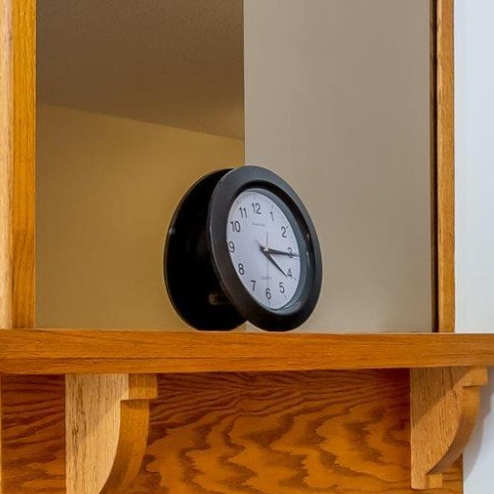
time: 4:15
